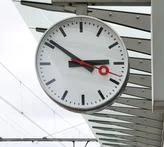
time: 2:51
